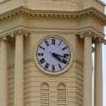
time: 4:17
